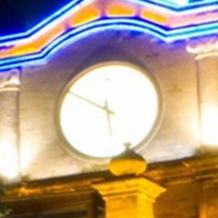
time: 5:50
